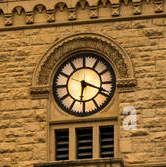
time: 6:18
